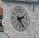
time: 2:25
